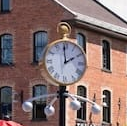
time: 1:59
